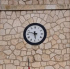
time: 5:47
